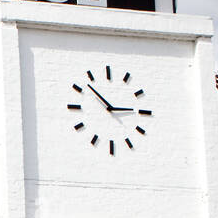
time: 2:52
